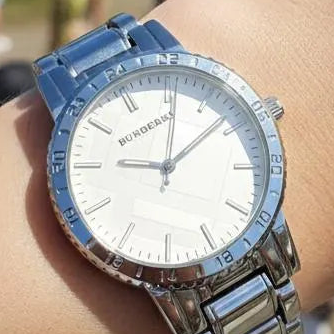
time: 9:08
